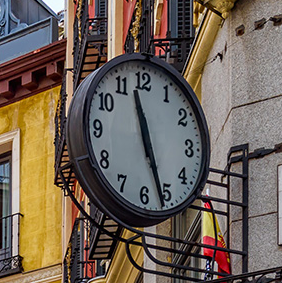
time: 11:26
